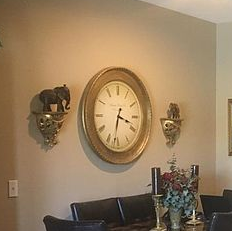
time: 3:32
